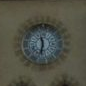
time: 11:32
